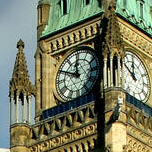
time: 11:49
